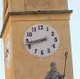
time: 8:42
